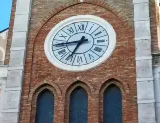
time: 6:43
